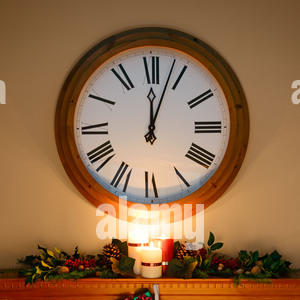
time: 12:03
